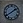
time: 1:39
